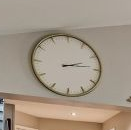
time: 2:13
